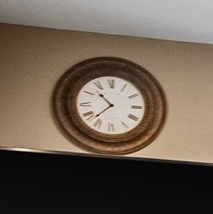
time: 10:37
